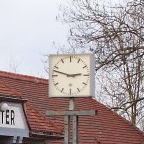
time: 2:48
